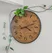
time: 4:11
